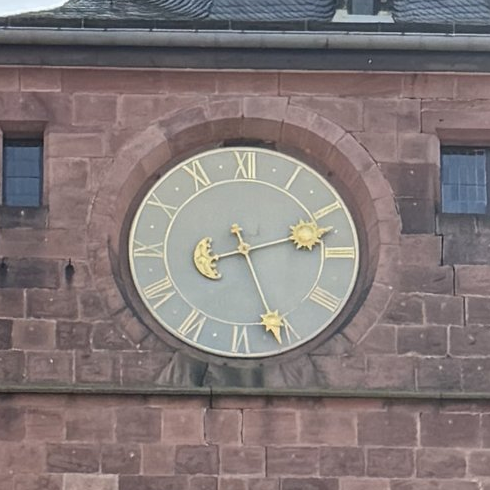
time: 2:26
